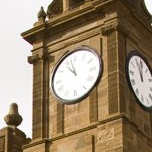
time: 10:57
